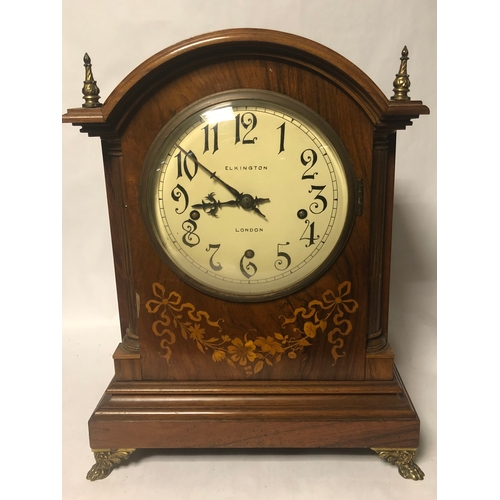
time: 8:51
